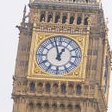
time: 12:57
